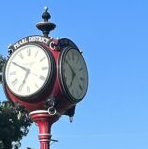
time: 6:50
